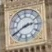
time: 2:40
